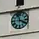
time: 11:19
